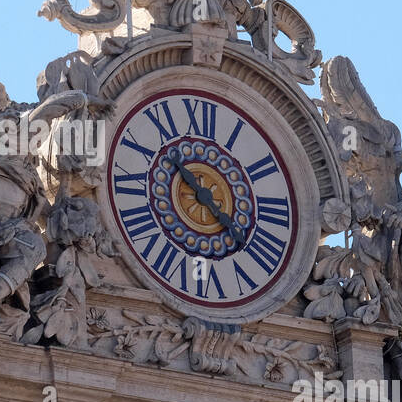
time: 10:22
